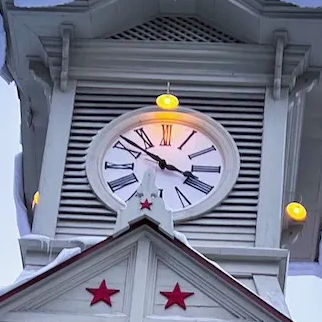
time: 3:51
